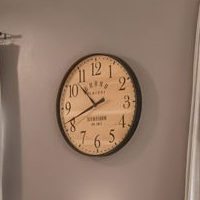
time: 10:41
